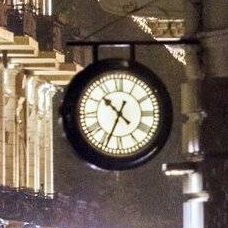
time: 10:34
